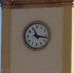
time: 11:16
